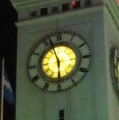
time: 5:56
